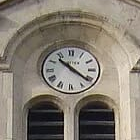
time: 10:21
